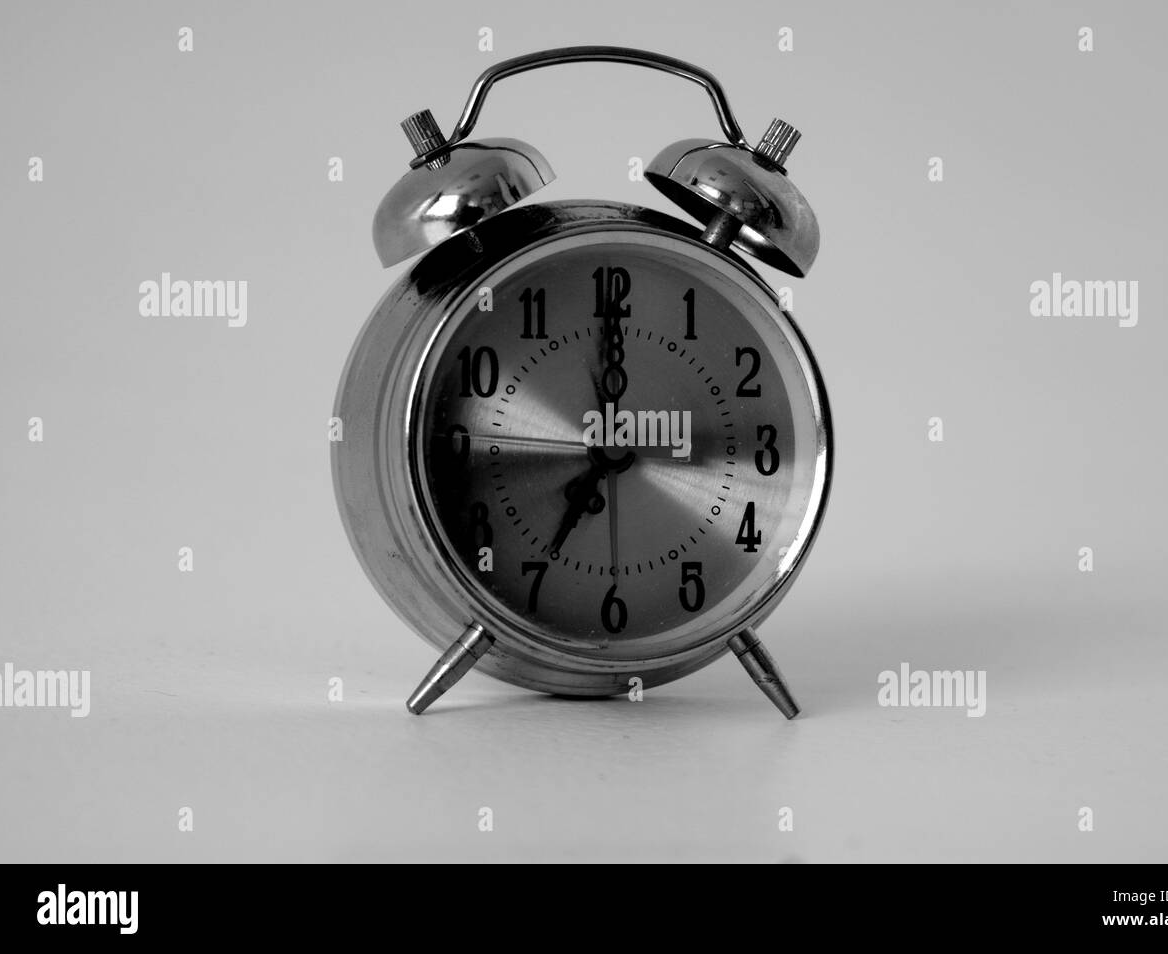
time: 7:00
